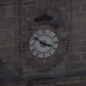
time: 3:51
